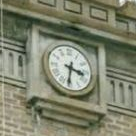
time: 3:31
